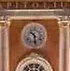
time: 10:28
